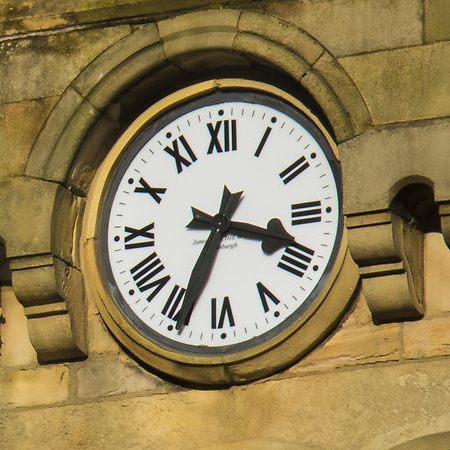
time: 3:34
